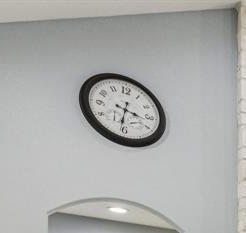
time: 3:31
